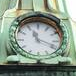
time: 11:18
